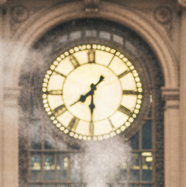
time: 7:30
